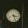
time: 3:26
